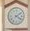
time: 4:08
